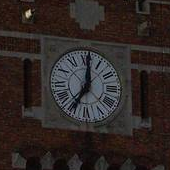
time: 7:00
